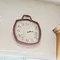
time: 2:13
